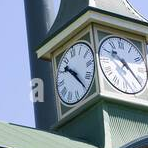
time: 10:24
